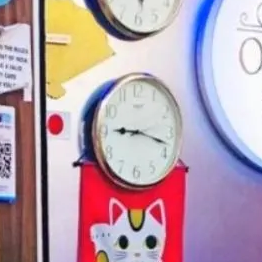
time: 9:17
